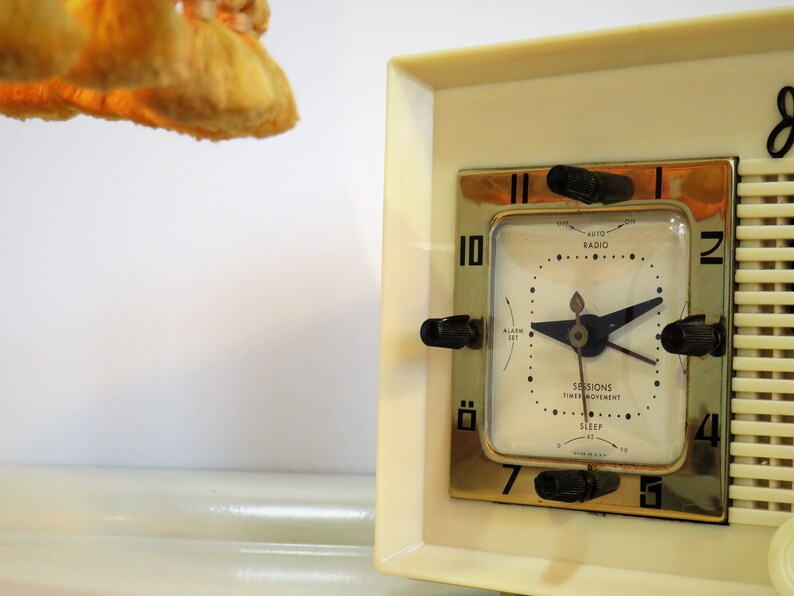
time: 9:11
